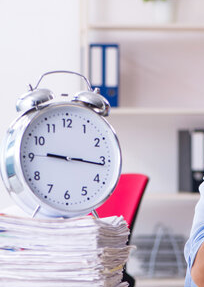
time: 9:16
